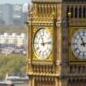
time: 11:13
